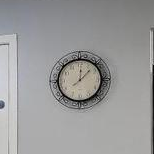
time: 12:07
